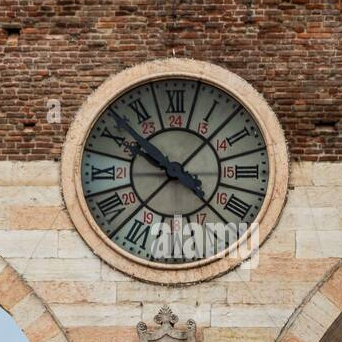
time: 10:07
